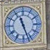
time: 11:26
